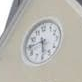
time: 5:44
